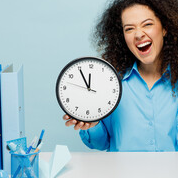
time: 11:54
